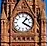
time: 1:20
